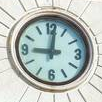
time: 9:01
